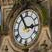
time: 2:55
